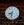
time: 8:32
